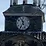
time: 11:35
